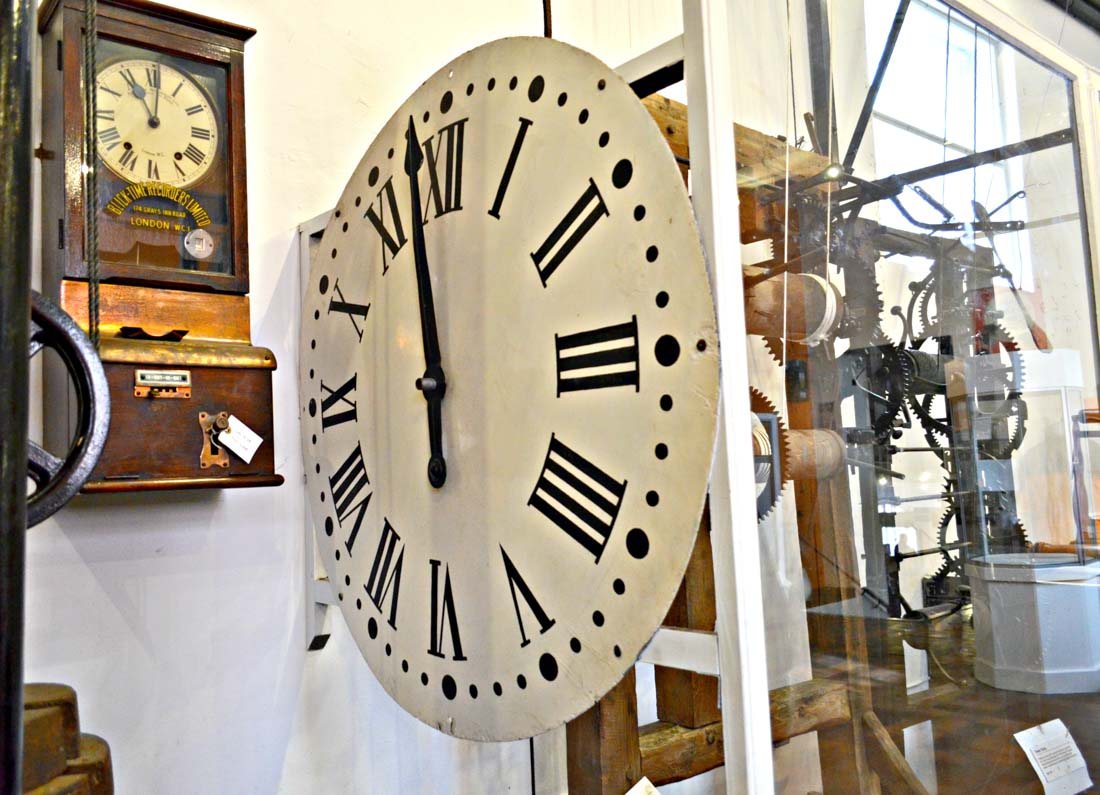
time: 5:58
